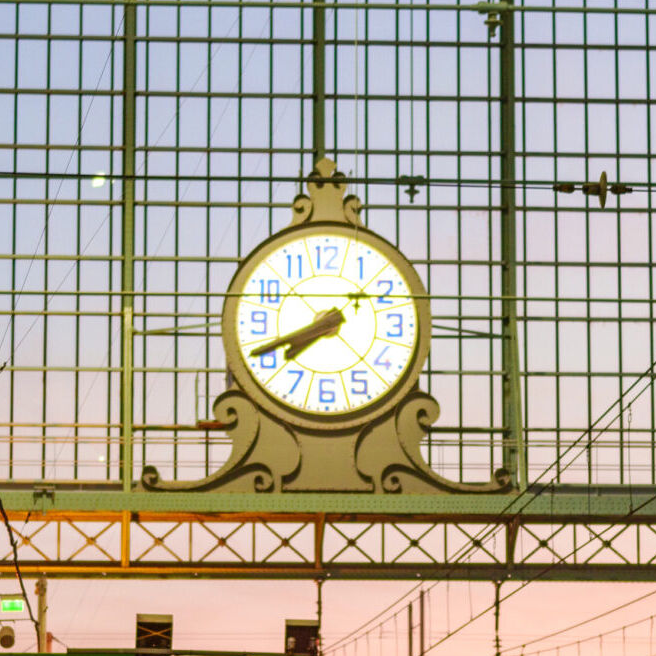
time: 7:40
